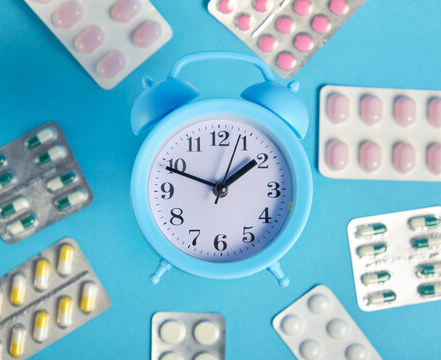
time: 1:48
